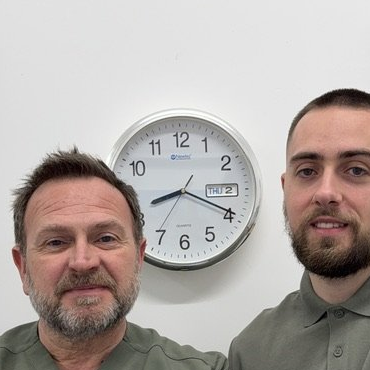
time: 8:19
